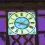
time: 9:18
